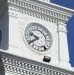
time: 9:39
